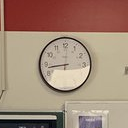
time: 8:43
